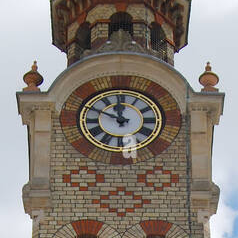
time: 11:49
